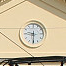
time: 9:30
